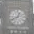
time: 12:40
